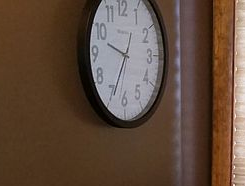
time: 9:34
